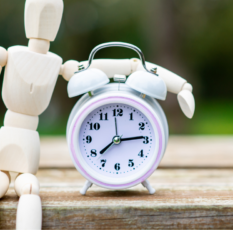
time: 2:38
